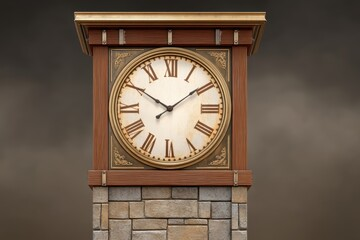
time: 1:50
